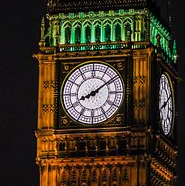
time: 8:09
